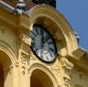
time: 12:06
